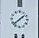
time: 1:38
